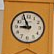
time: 8:56
